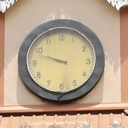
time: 9:47
